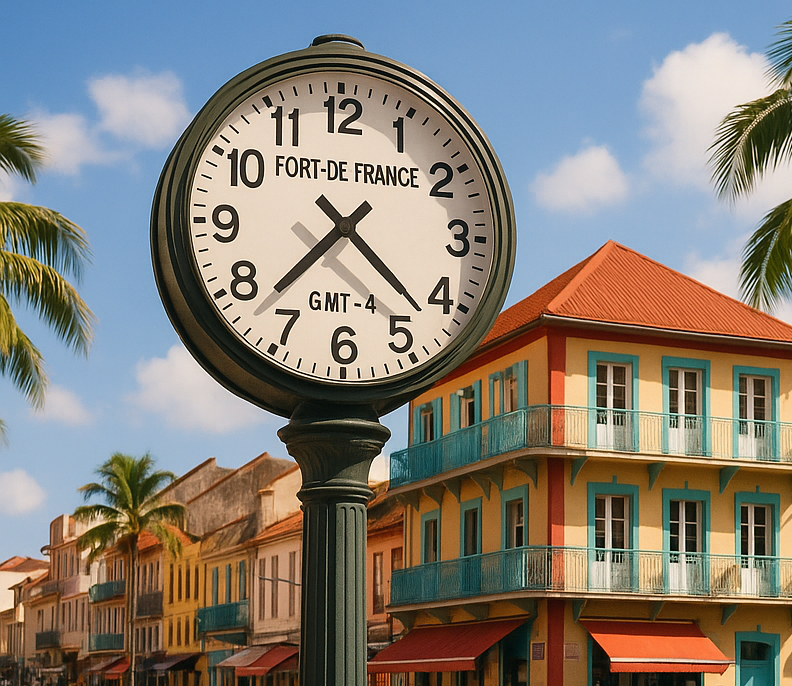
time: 7:22
